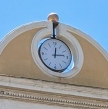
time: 12:13
